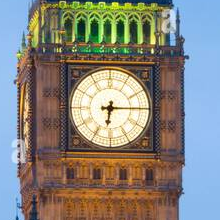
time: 6:15
